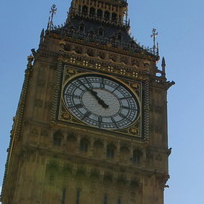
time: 10:52
